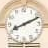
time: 8:11
